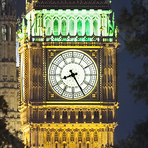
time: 8:25
